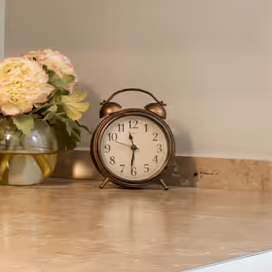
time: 11:31
